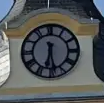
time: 6:28
